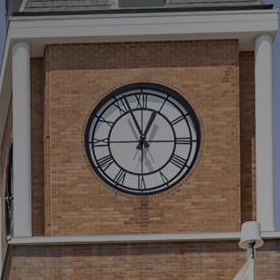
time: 12:56
